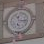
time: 11:16
